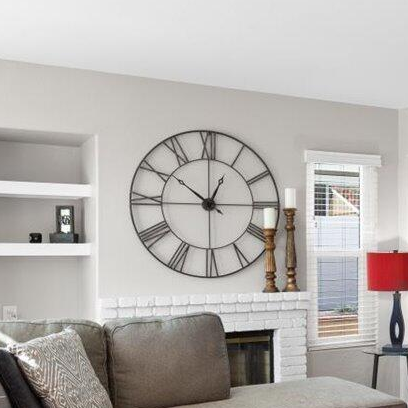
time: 12:51
